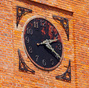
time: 2:20
